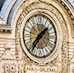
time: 1:36
